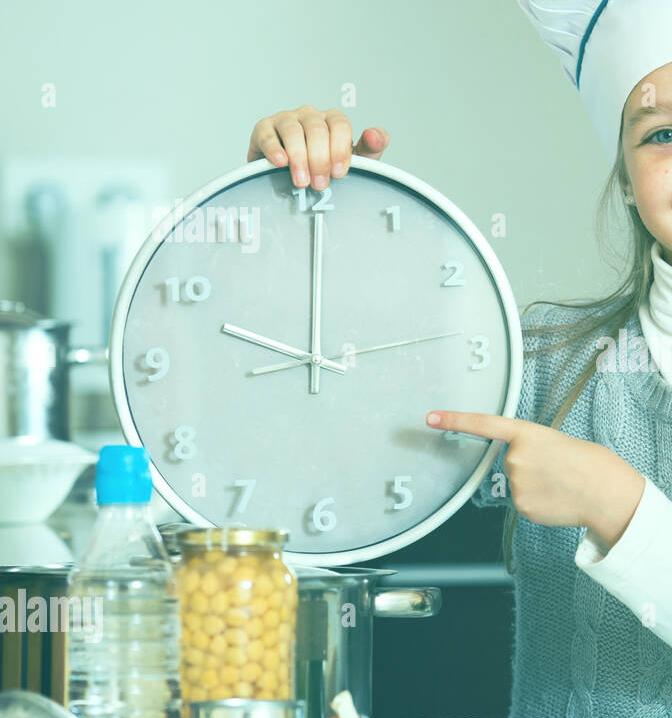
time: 10:00
